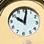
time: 10:01
